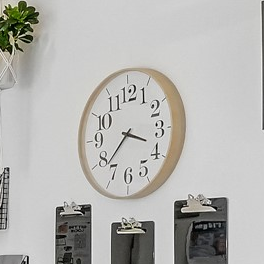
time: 3:37
